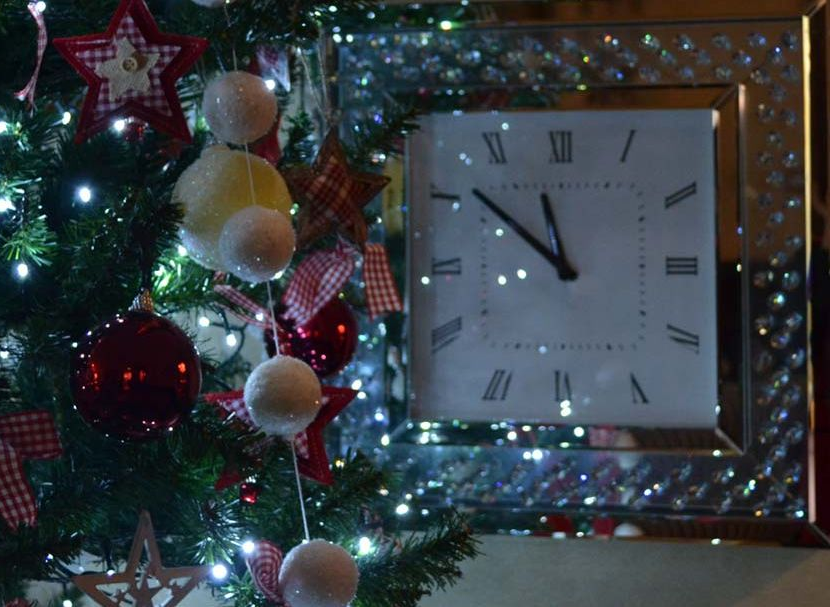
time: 11:51
